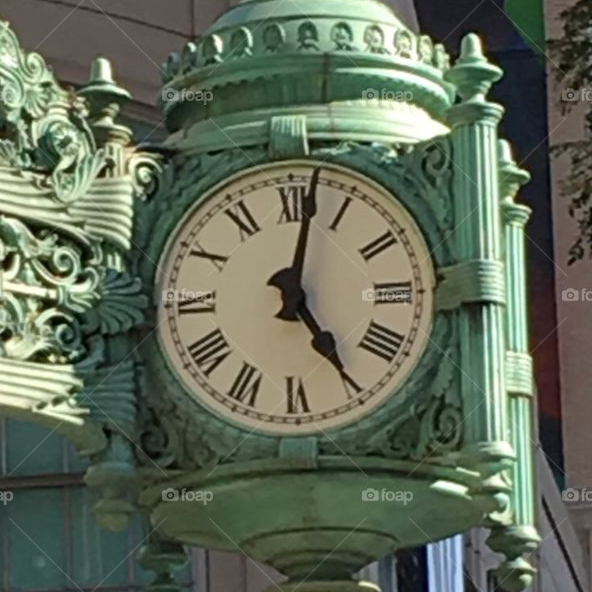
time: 5:01
